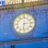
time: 6:14
